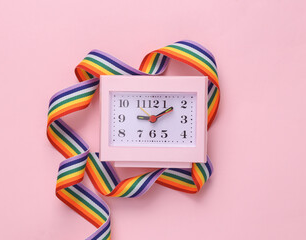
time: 9:09
